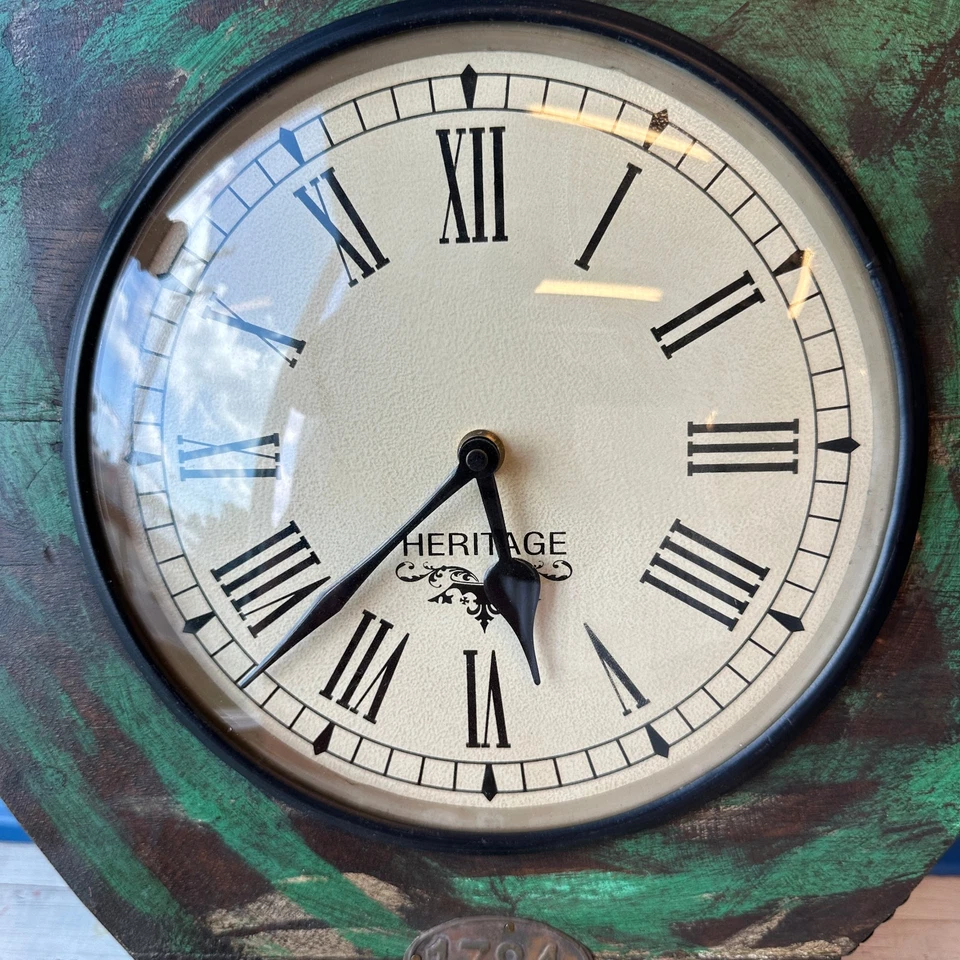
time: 5:37
